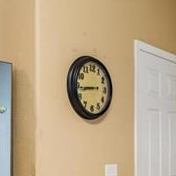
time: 8:43
